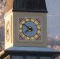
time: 7:50
